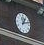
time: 1:12
